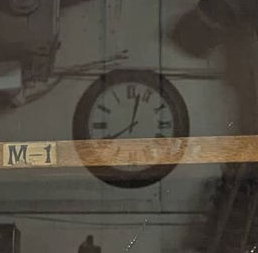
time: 8:02
